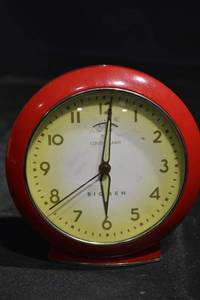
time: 6:00
